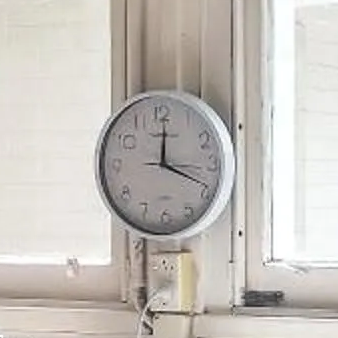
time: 12:18
